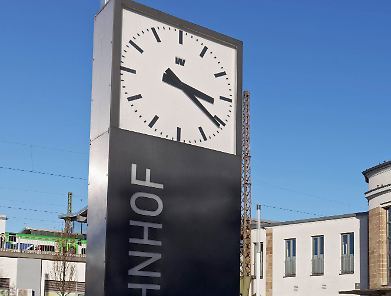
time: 3:20
